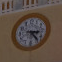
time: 3:23
